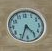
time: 4:34
